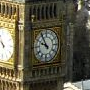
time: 9:54
